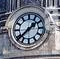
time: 1:37
